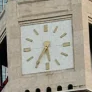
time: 5:35
